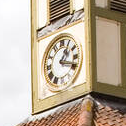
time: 1:18
